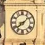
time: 1:38
